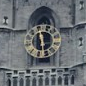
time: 11:28
